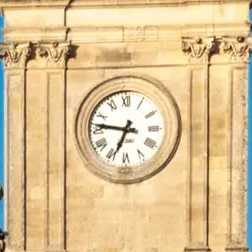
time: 6:46
